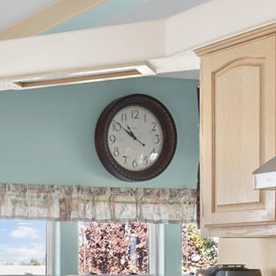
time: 10:51
